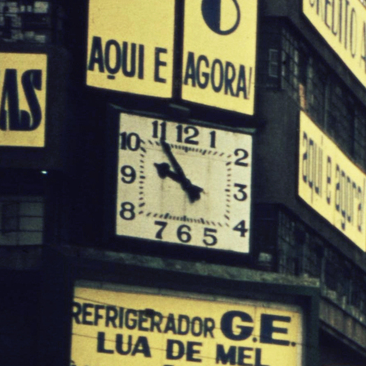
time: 9:54
